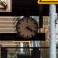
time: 4:18
